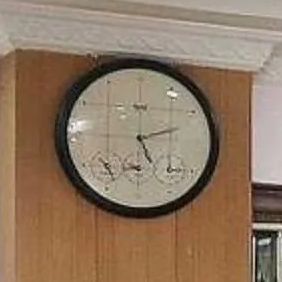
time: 5:11
